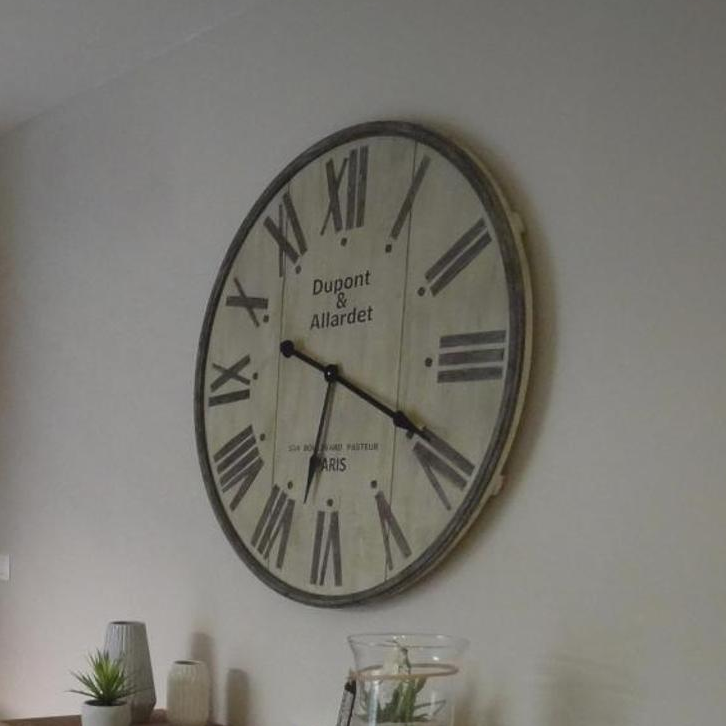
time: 6:19
